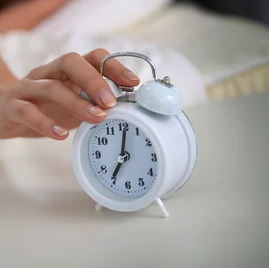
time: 7:01
